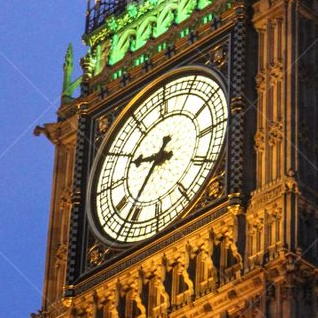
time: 9:36
